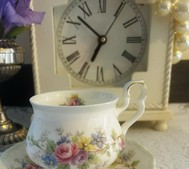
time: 6:52
